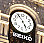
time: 4:53
